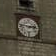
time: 2:45
